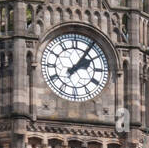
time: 2:06
